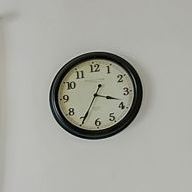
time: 3:34
